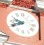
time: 9:41
